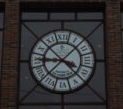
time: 3:45
